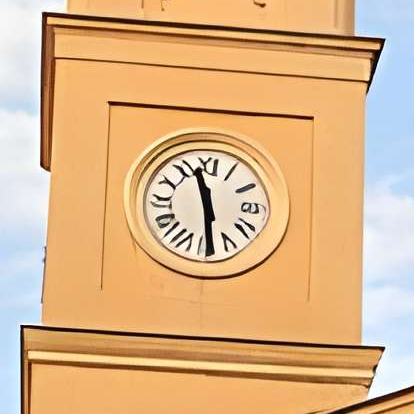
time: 11:29
